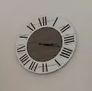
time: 3:18
